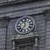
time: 11:35
